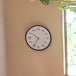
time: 6:50
